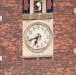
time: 6:41
